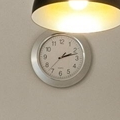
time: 2:12
